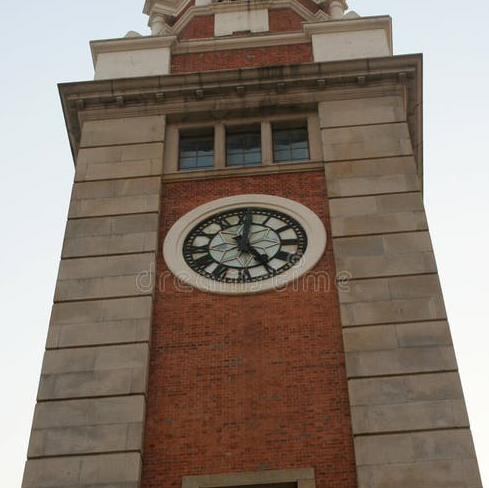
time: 12:24
